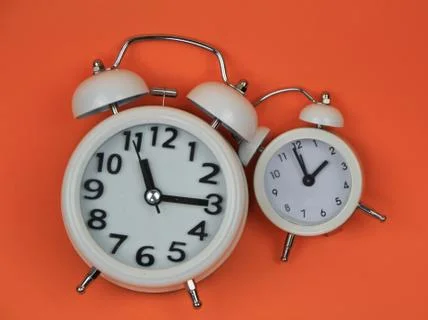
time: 11:14
